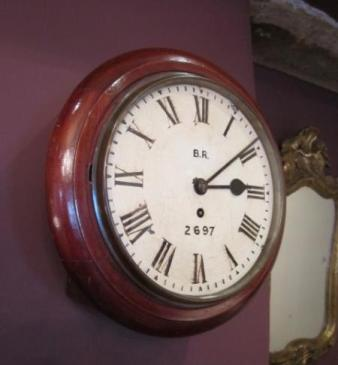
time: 3:08
